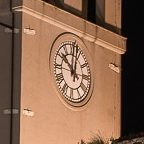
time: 10:02
